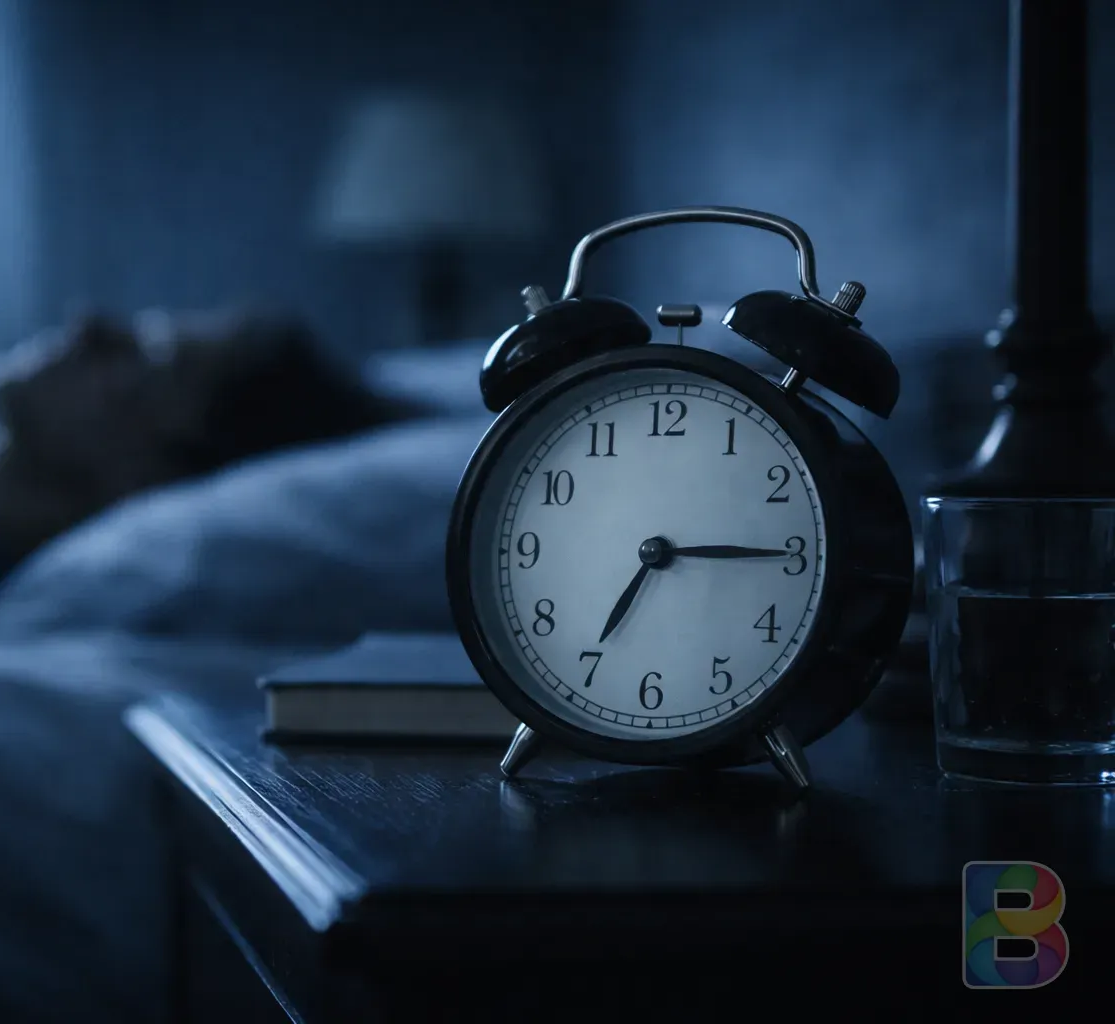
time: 7:14
